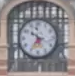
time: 5:35
